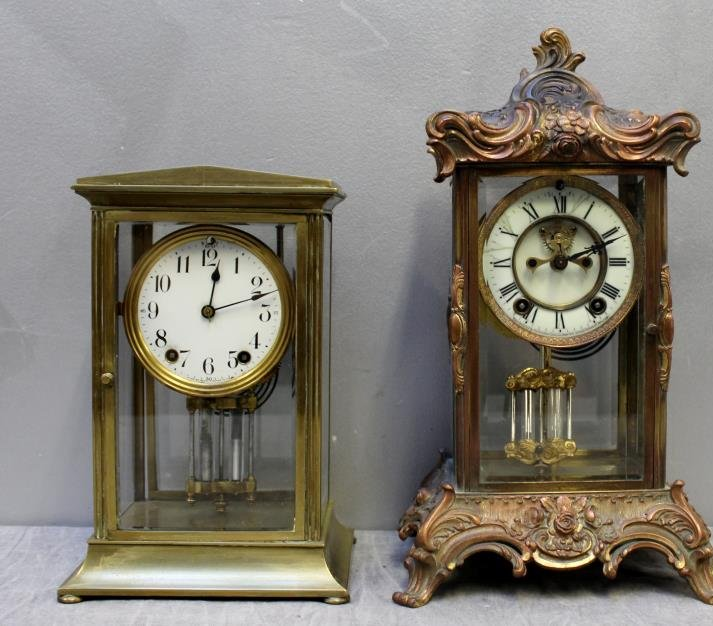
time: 12:12
